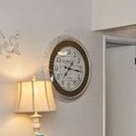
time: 7:16
